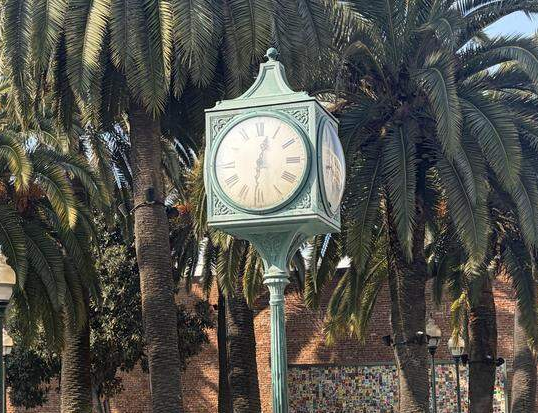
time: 12:31
